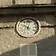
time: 10:02
